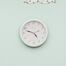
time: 4:48
